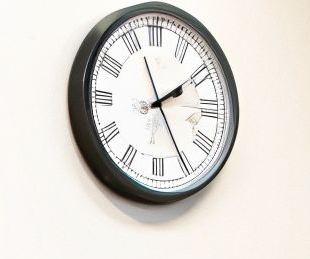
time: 1:56
